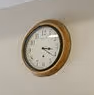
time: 3:21
